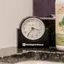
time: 3:35
